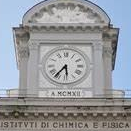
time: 5:36
